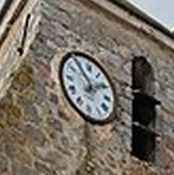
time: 1:54
